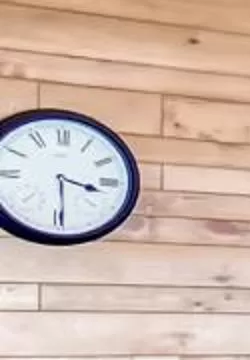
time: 3:29
